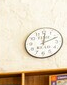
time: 12:11
